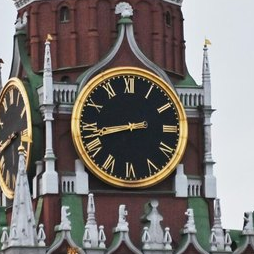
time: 8:42
